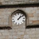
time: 1:08
